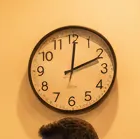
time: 2:00
